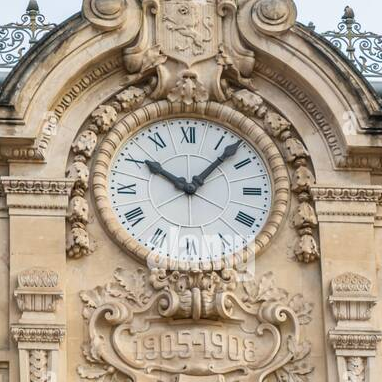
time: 10:07
